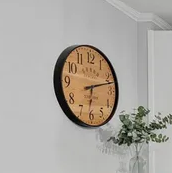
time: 6:12
